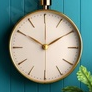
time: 1:50
